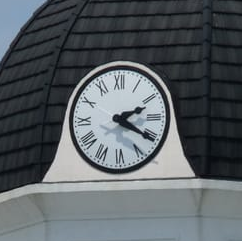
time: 2:20
